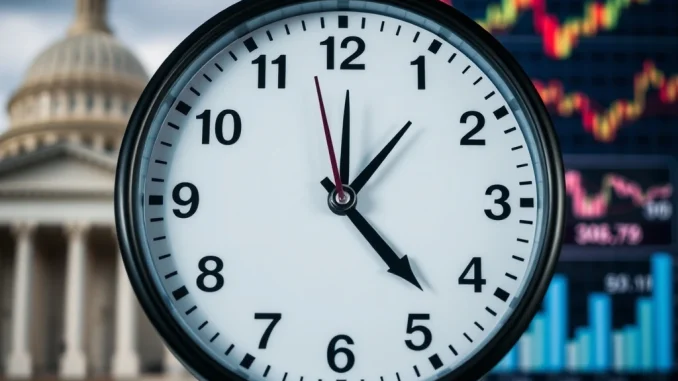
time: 1:22
